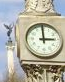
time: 2:59
